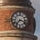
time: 7:17
